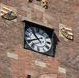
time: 10:40
